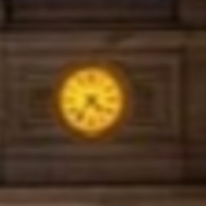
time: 4:36
